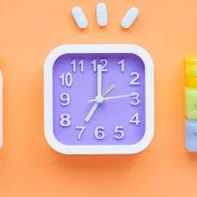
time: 7:00
